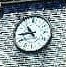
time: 10:45
